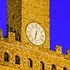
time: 6:32
